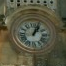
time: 1:03
